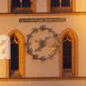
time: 7:07
